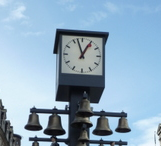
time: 12:57
